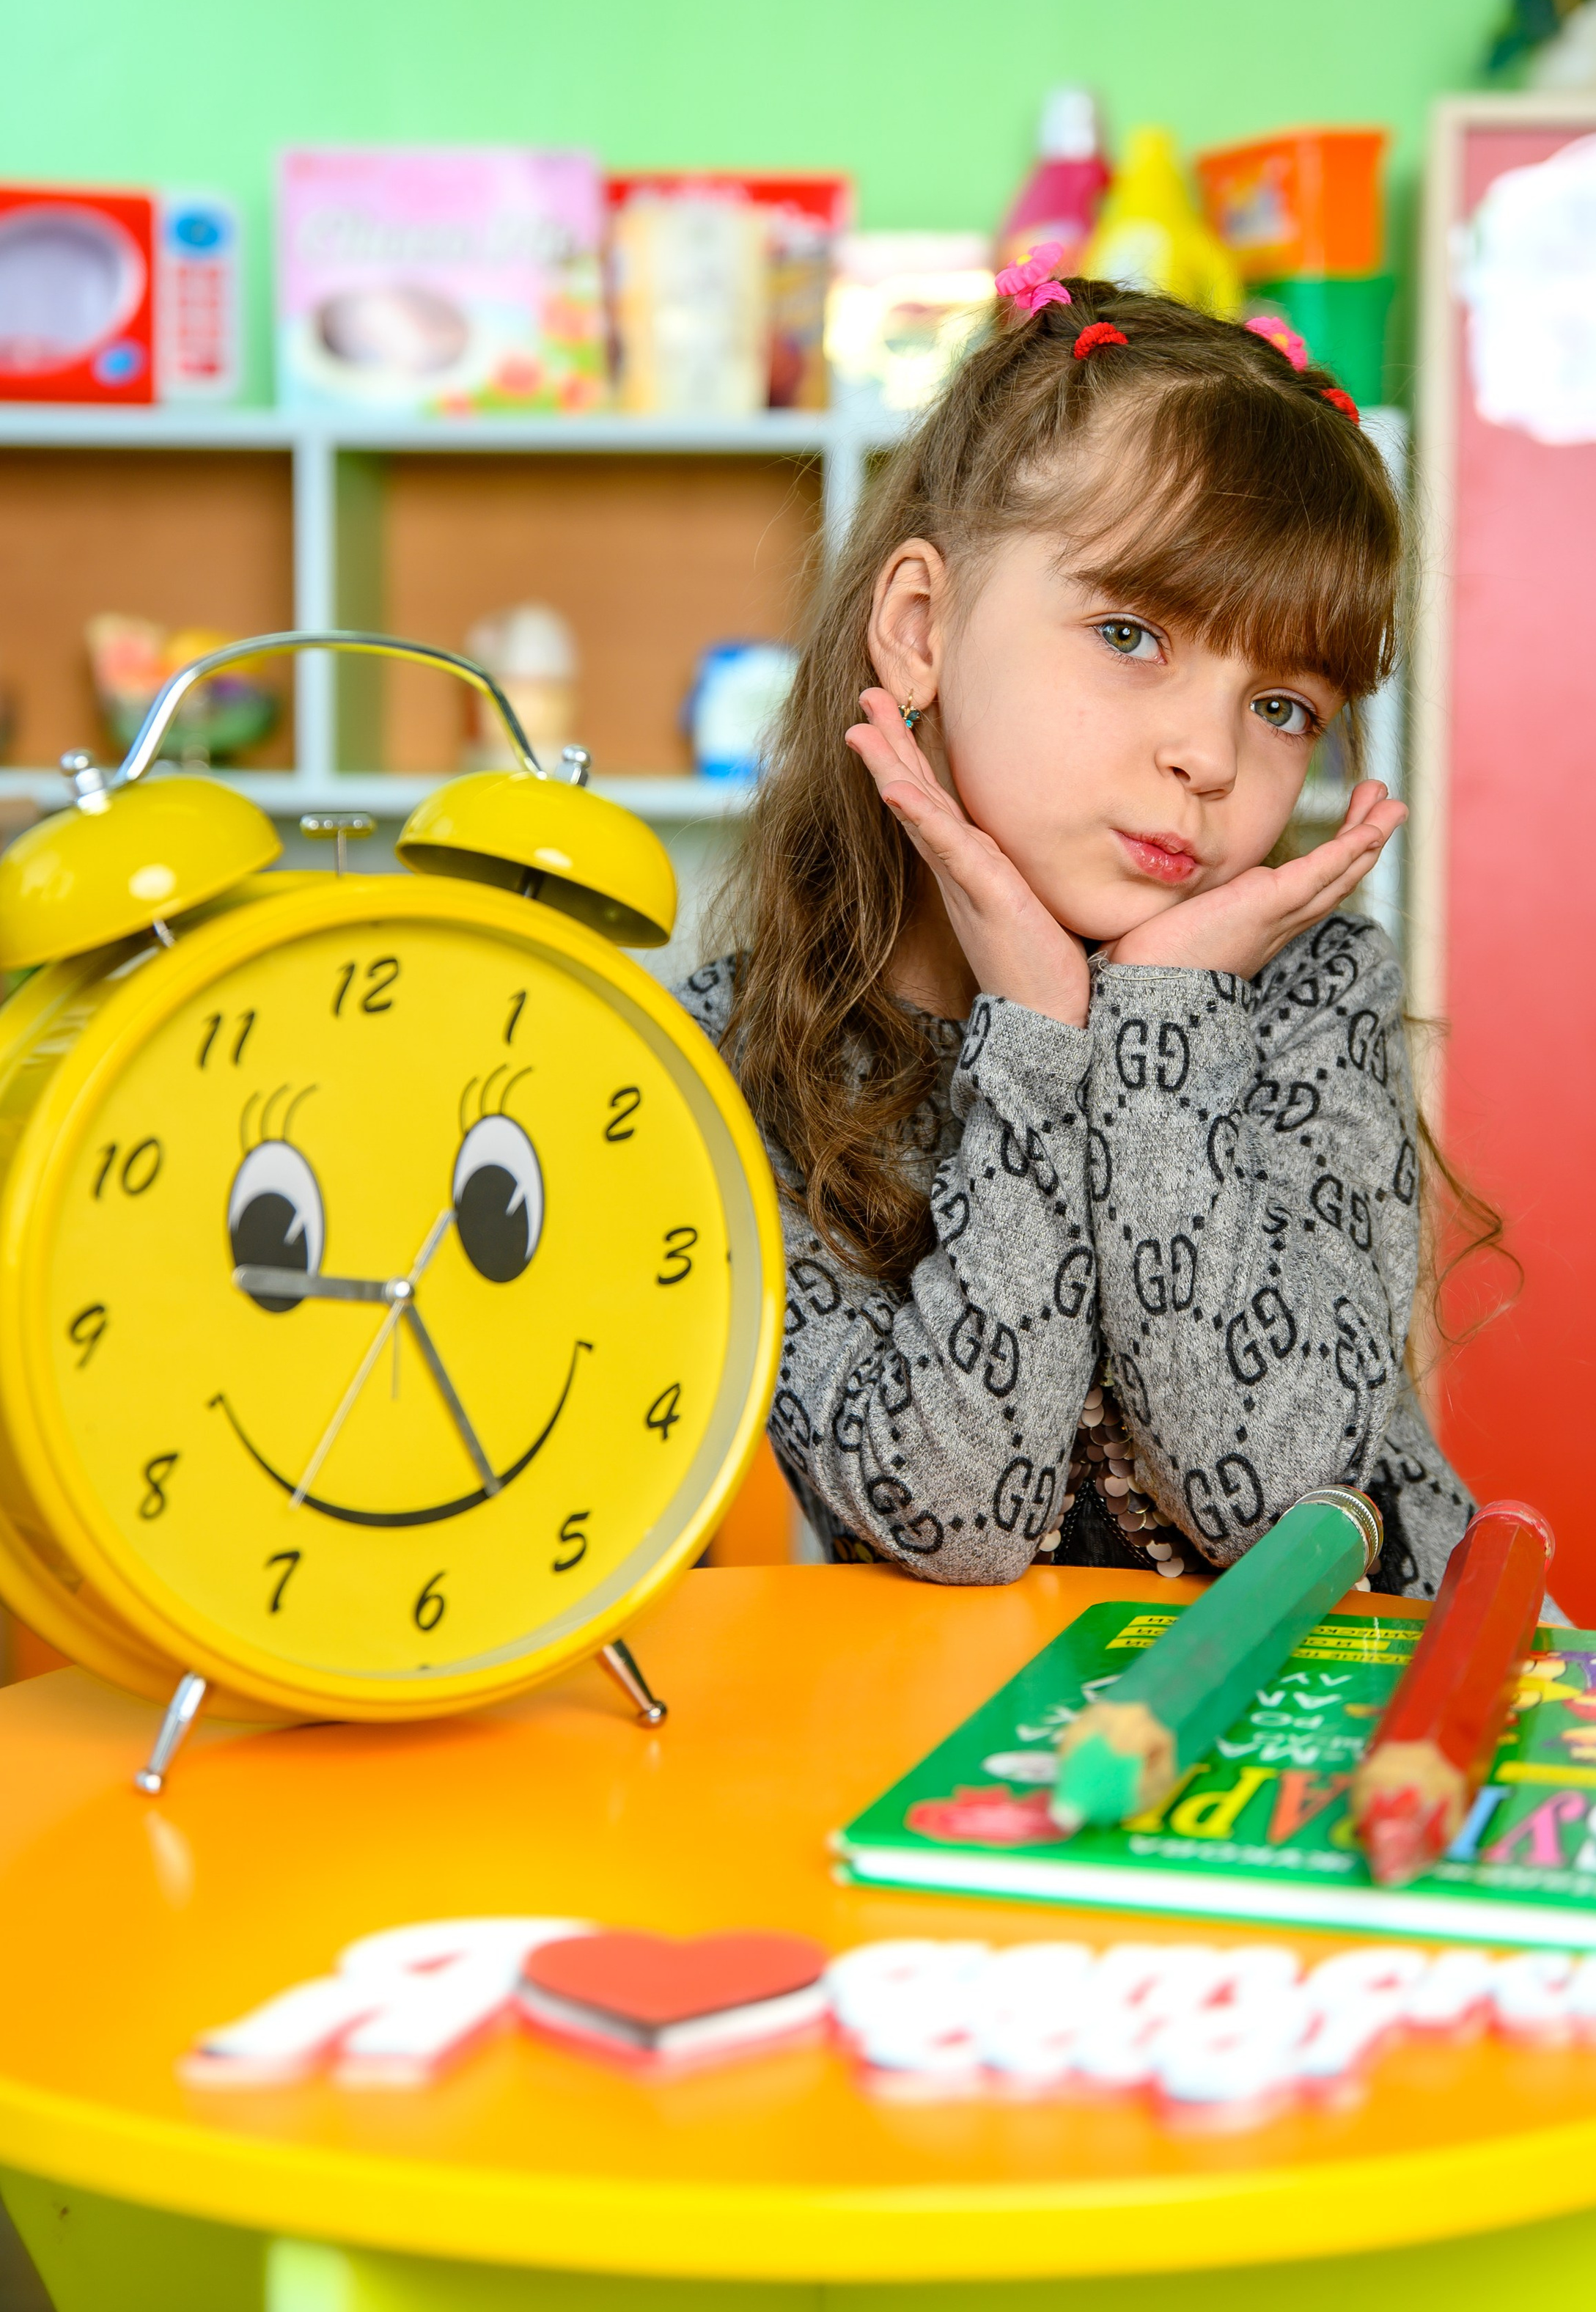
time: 9:25
